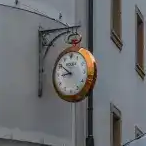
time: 8:50
